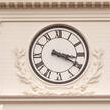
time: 3:19
